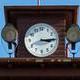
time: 3:14
